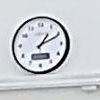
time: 1:10
